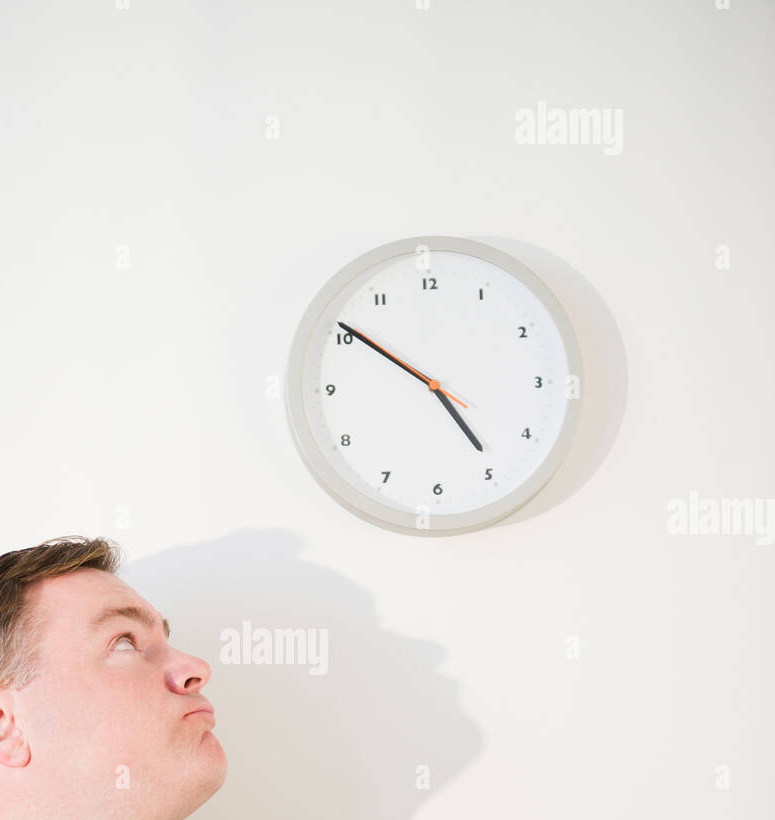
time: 4:50
